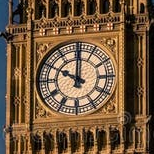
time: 10:00
